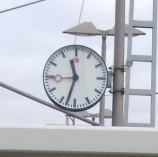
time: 11:32
